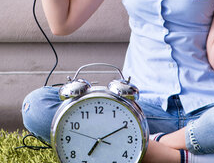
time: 7:10
